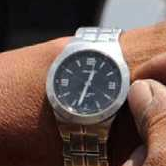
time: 12:32
